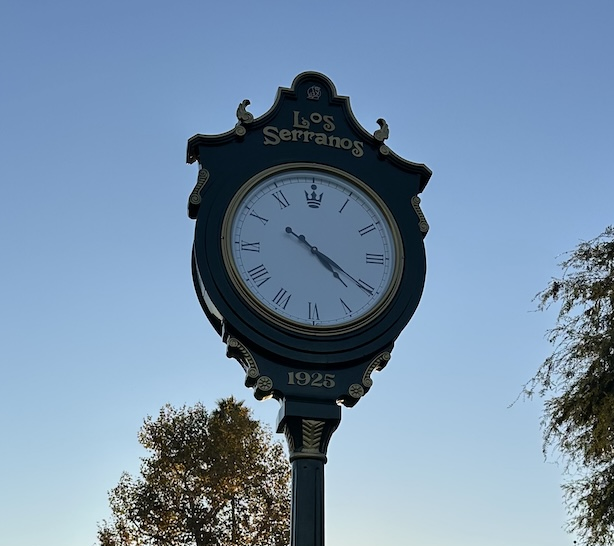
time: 4:20
